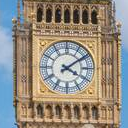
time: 4:09
